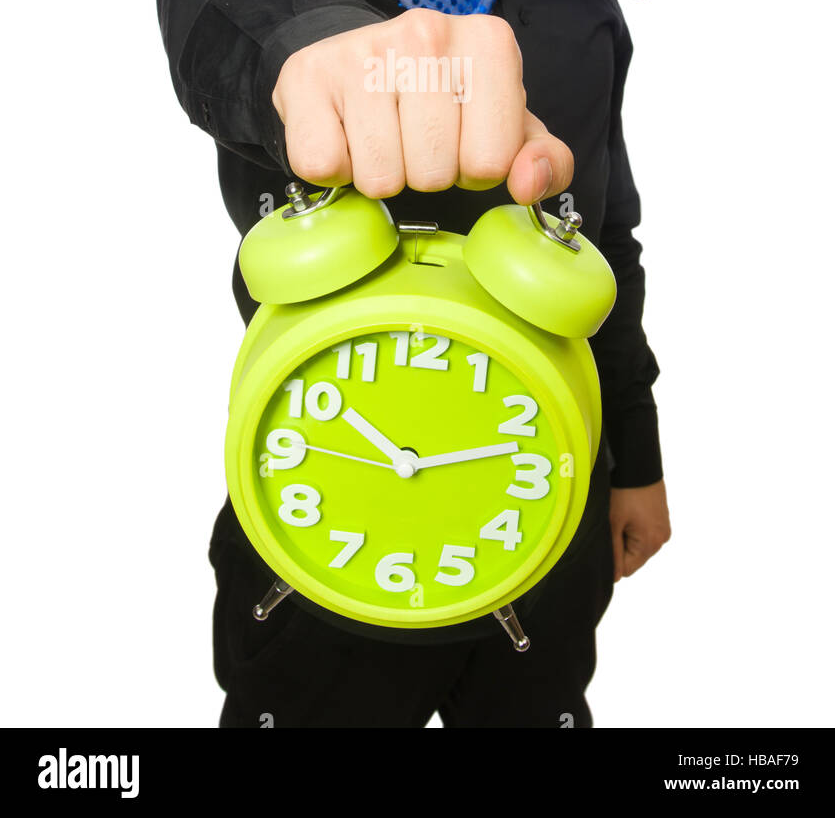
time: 10:12
